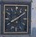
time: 8:09
